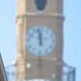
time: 11:58
